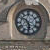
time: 5:51
